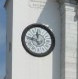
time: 11:46
